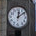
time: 12:09
